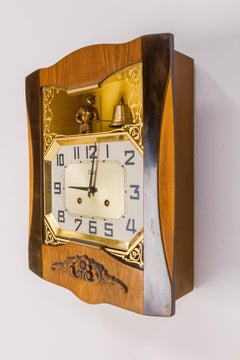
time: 9:01
